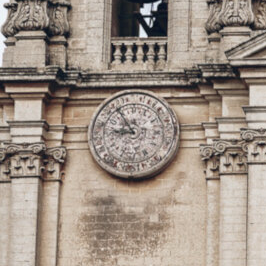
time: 8:54
